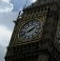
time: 1:41
